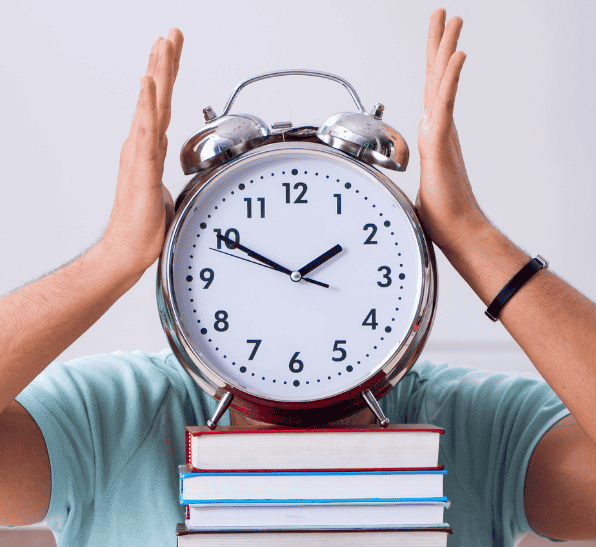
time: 1:49
